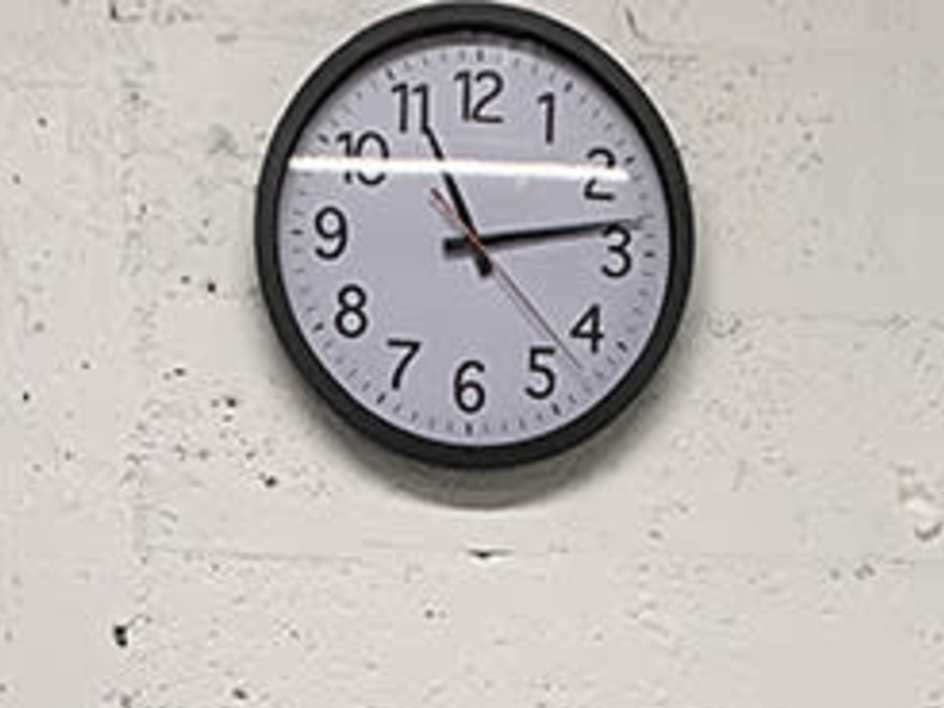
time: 11:13
